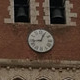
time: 12:43
